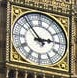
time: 2:53
